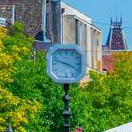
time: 3:47
